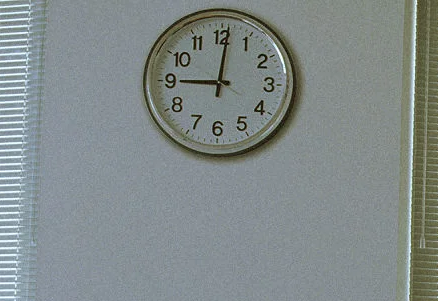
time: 9:01
